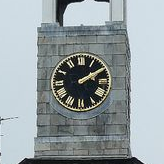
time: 2:09
